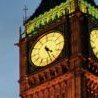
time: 4:26
